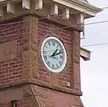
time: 1:11
